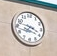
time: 3:47
